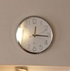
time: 12:15
